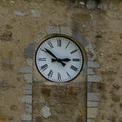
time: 2:51
